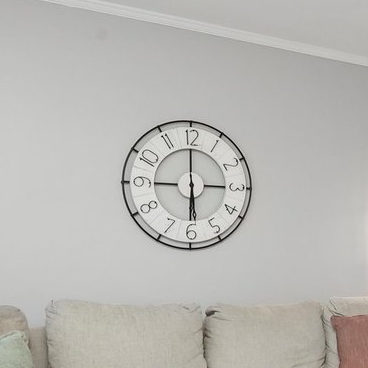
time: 5:59
